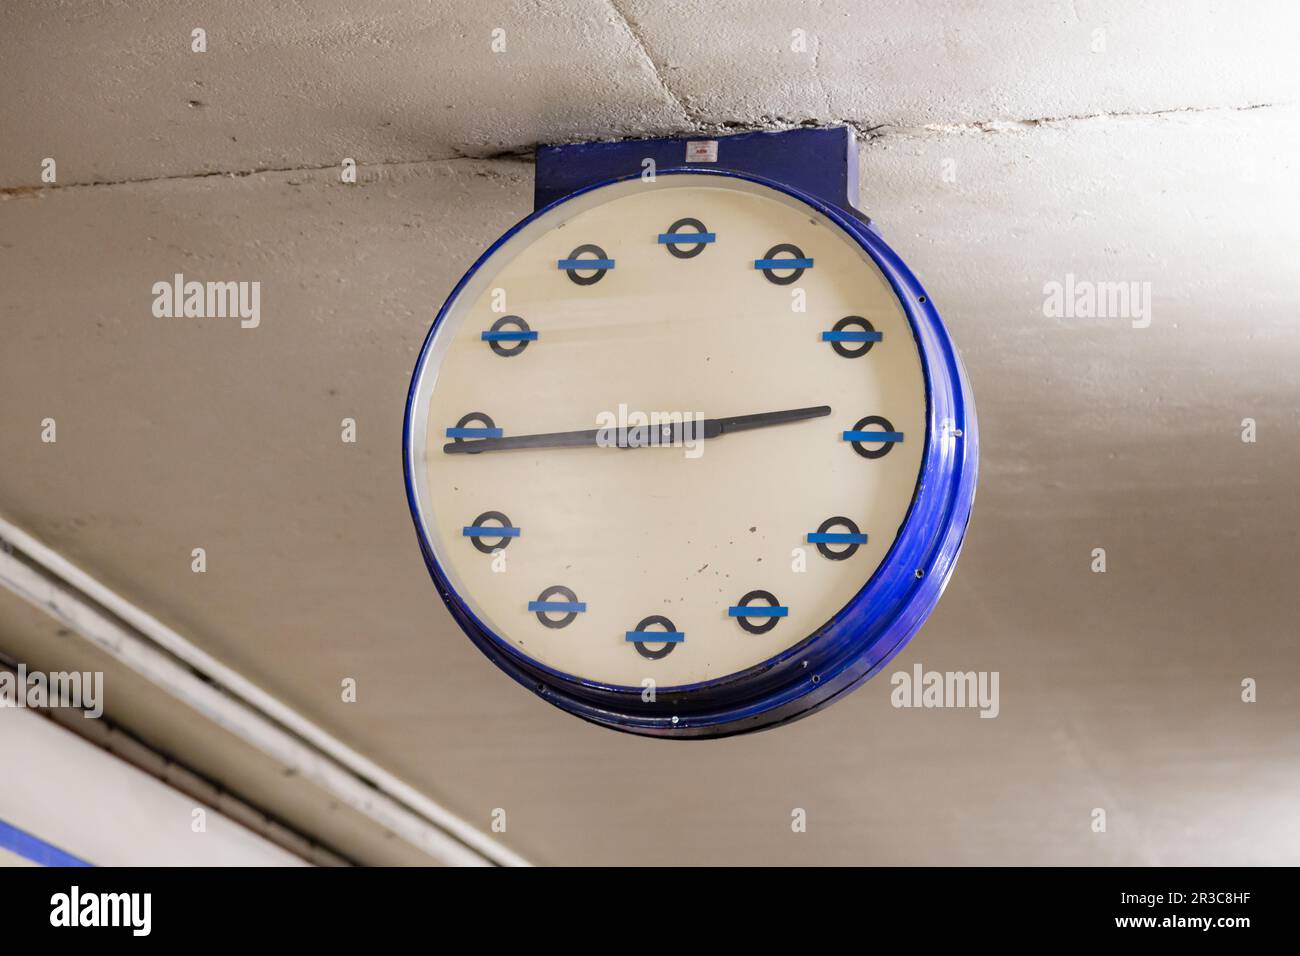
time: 2:44
